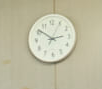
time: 2:51
